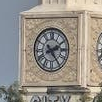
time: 2:24
